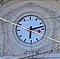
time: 6:12
